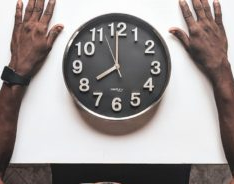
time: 7:59
